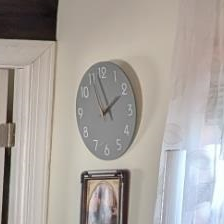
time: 1:56
